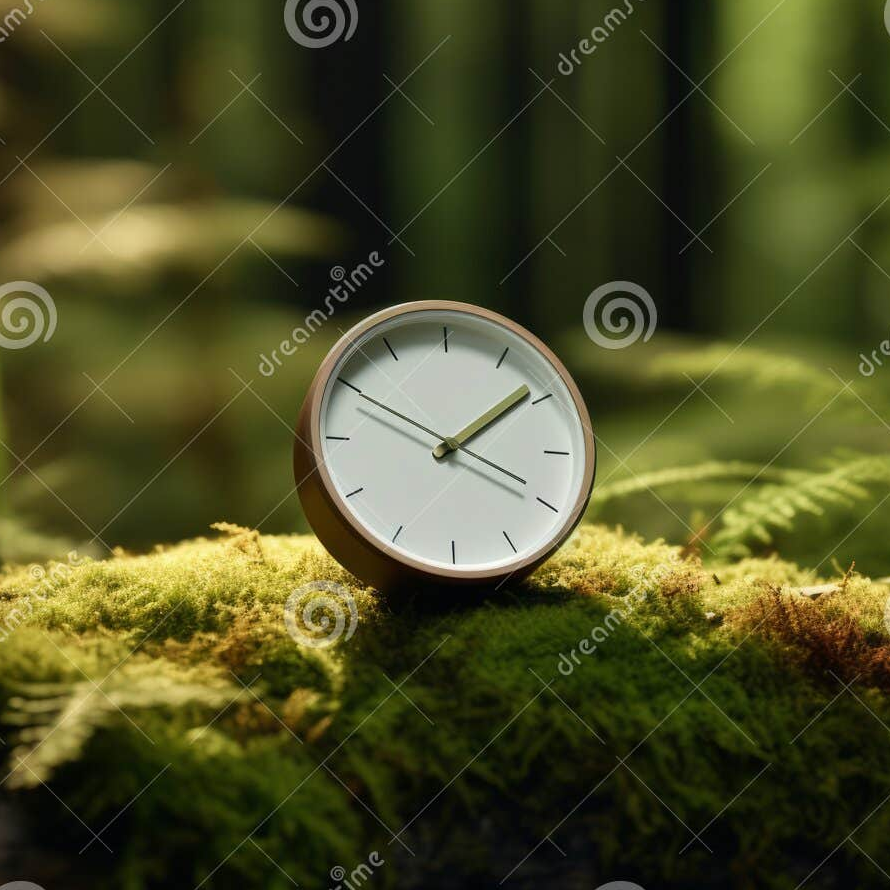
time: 1:49
